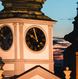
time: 9:57
